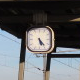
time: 5:23
